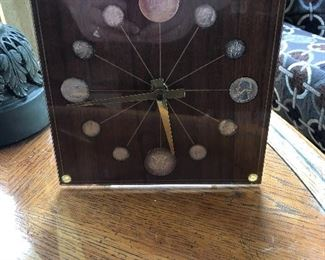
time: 8:28
